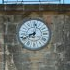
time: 8:01
